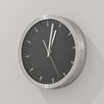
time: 1:02
